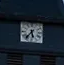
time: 5:36
